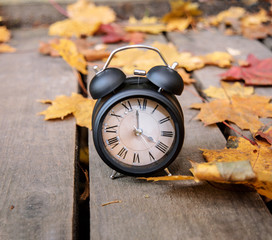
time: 3:58
